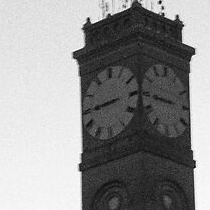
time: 8:44
